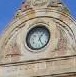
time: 5:05
